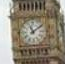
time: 11:09
